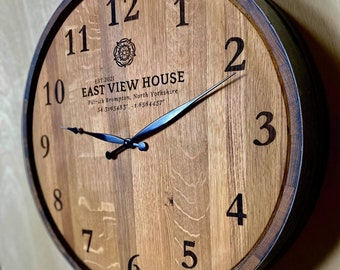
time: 9:11
